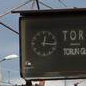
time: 12:16
